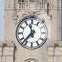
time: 11:37
